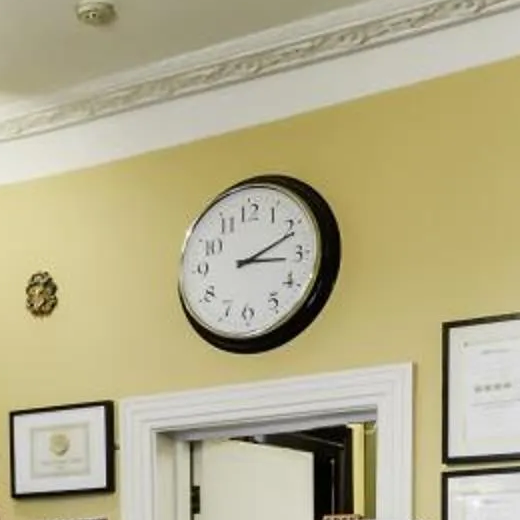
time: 3:11
